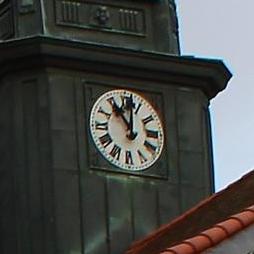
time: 11:01
